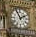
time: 1:56
